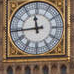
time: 11:44
